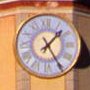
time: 1:24
